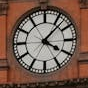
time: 4:07
